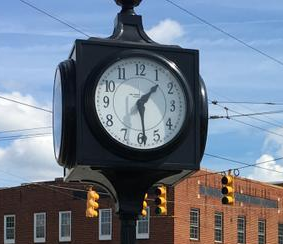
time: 1:29
